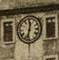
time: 12:32
